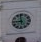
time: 8:58
